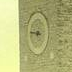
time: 8:45
